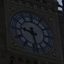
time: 9:28
